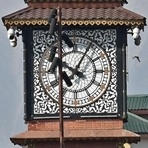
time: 10:04
